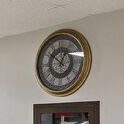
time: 12:51
